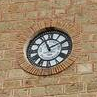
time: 1:56
